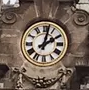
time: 2:02
